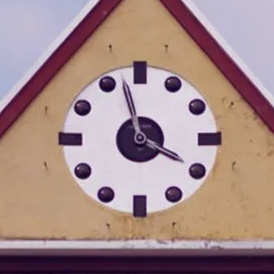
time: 3:57
